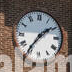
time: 1:36
